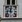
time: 11:46
